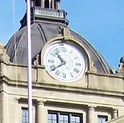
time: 10:39
